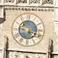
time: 5:18
